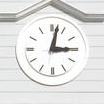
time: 3:02
